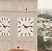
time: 10:13
